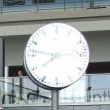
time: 7:46
